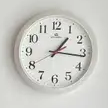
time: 1:16
